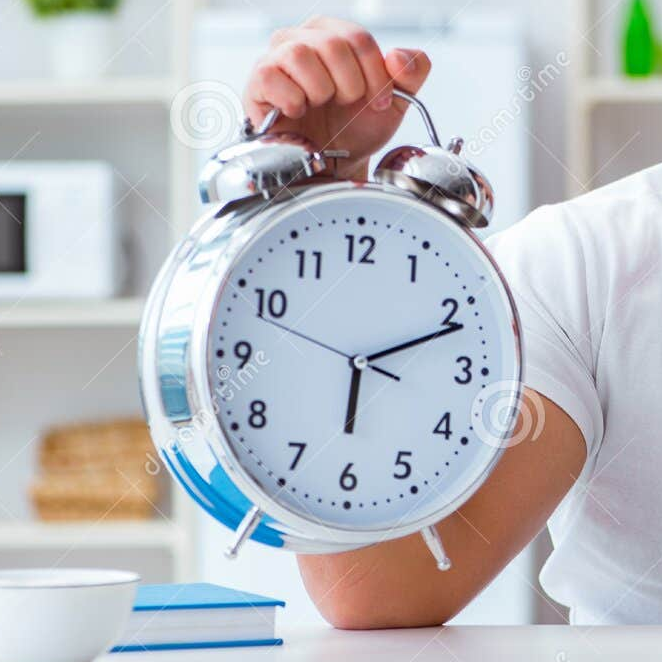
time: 6:11
